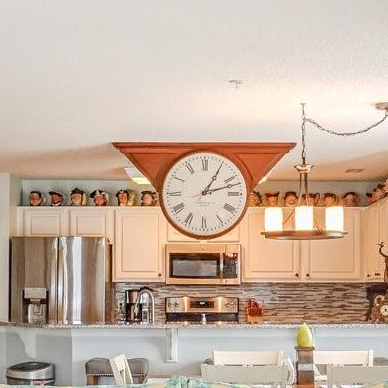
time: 1:12
